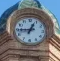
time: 12:44
